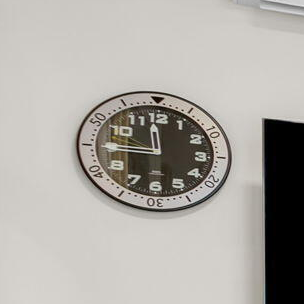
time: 11:45
